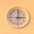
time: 3:01
